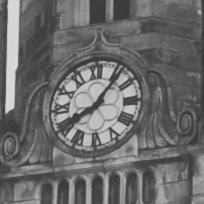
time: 8:06
